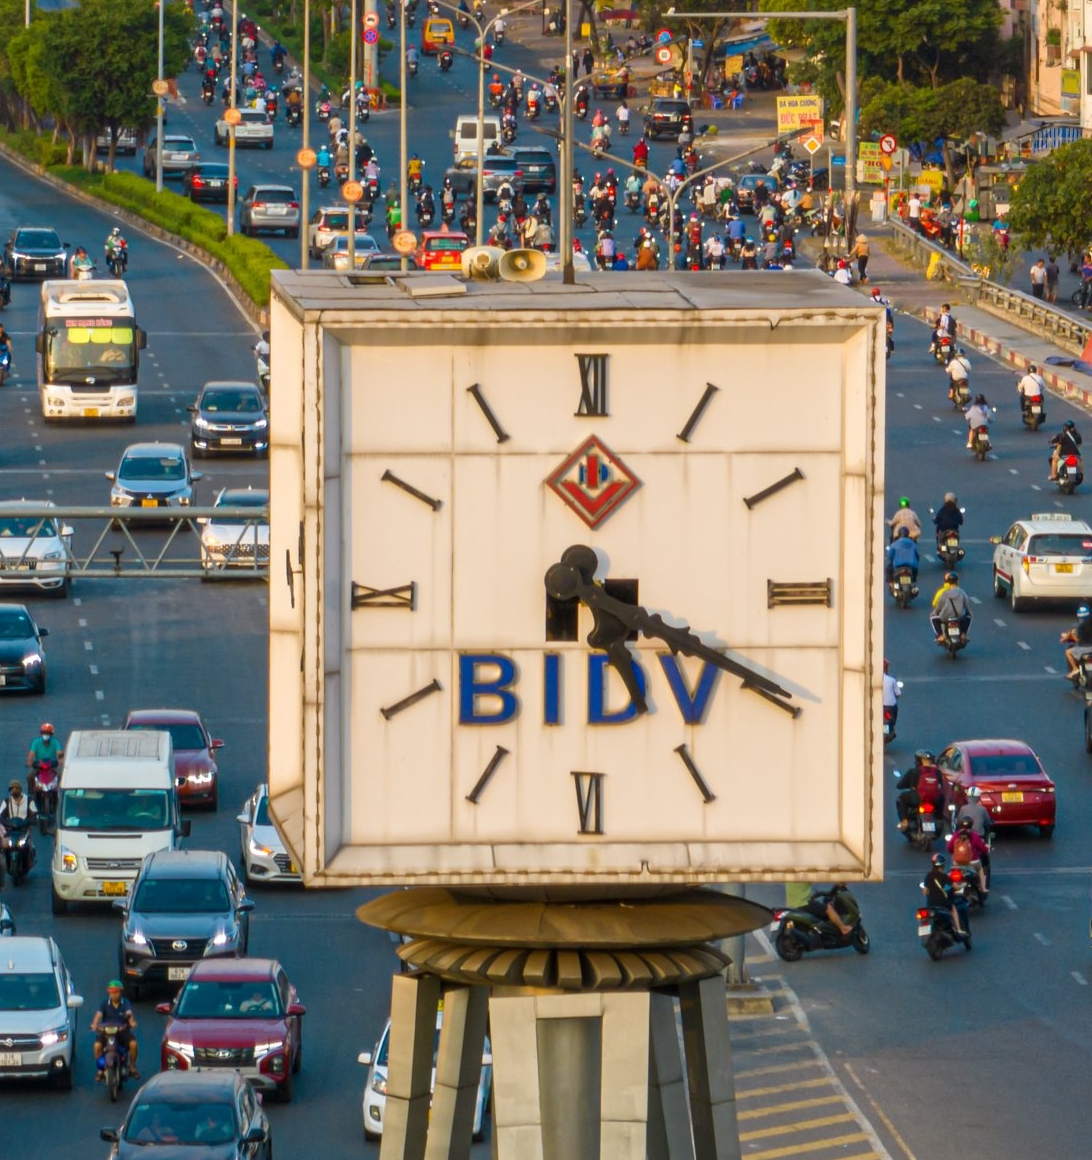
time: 5:19
